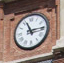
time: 11:14
